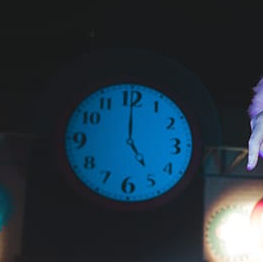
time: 5:00
